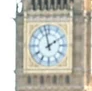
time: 1:57
